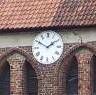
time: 1:50
